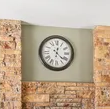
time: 12:21
